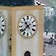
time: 10:38
